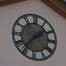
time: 1:36
